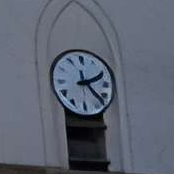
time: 2:22
